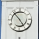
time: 4:53
